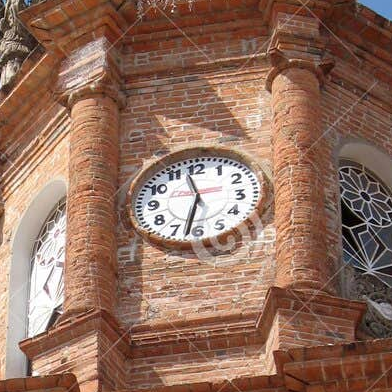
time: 11:32
